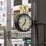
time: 12:36
